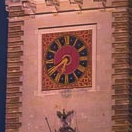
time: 6:38
